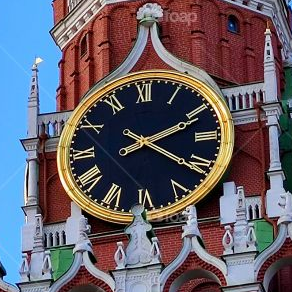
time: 2:21
